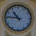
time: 10:45
